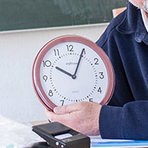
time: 10:04
